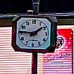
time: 1:46
